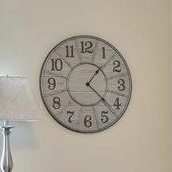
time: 1:22
